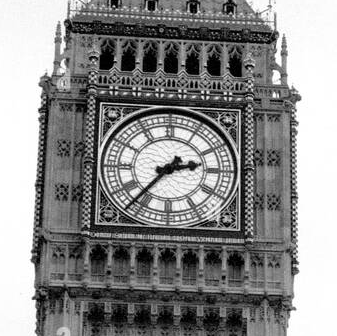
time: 2:36
